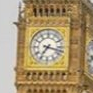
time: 7:17
